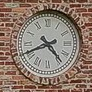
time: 4:41
